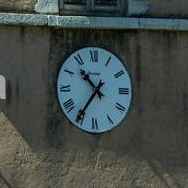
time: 10:35
